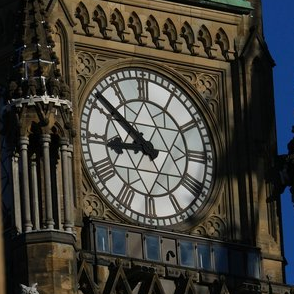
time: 8:51
